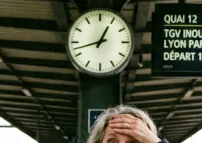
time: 12:42
